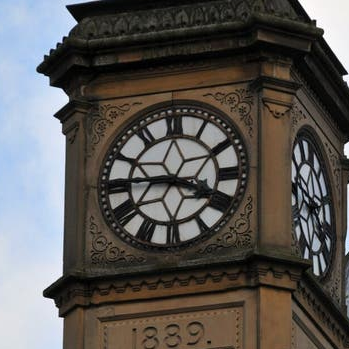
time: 3:45
